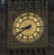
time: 8:40
